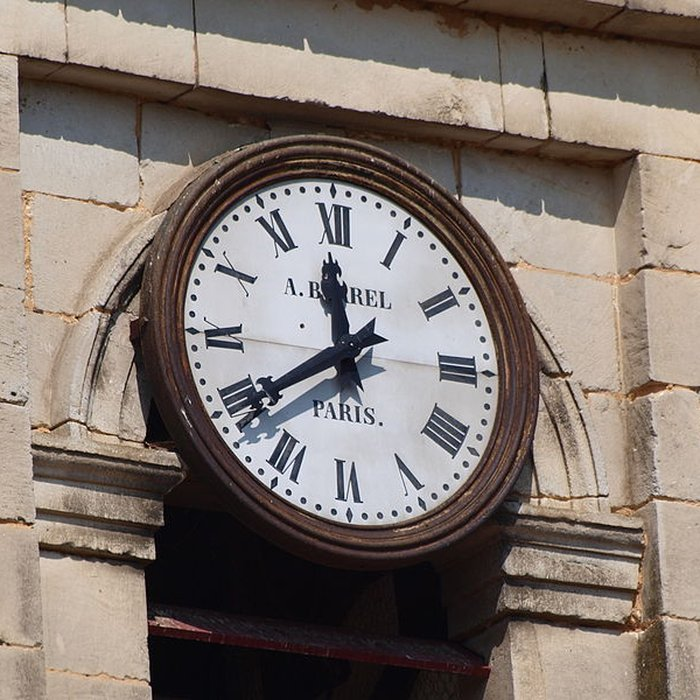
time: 11:39
